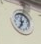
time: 11:35
